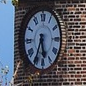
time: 5:35
